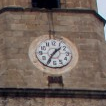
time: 1:35
